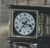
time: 3:36
